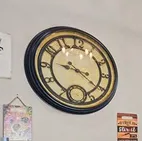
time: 9:20
